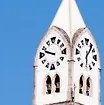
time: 9:47
